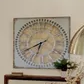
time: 6:40
